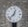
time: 12:37
